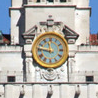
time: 11:46
